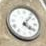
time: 4:06
